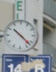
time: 10:22
